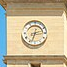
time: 2:33
